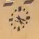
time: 5:18
